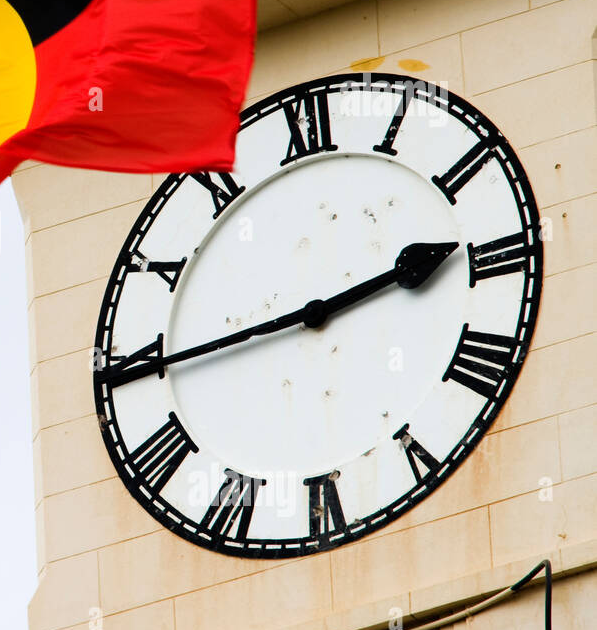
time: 2:44
